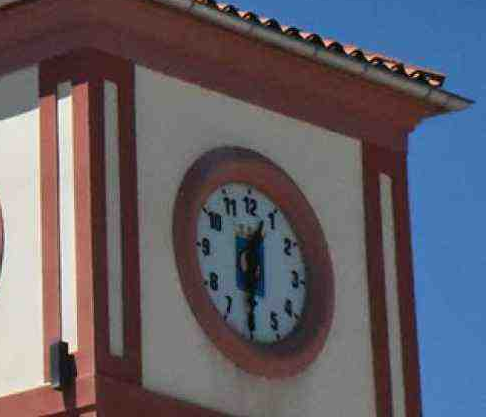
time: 12:30
